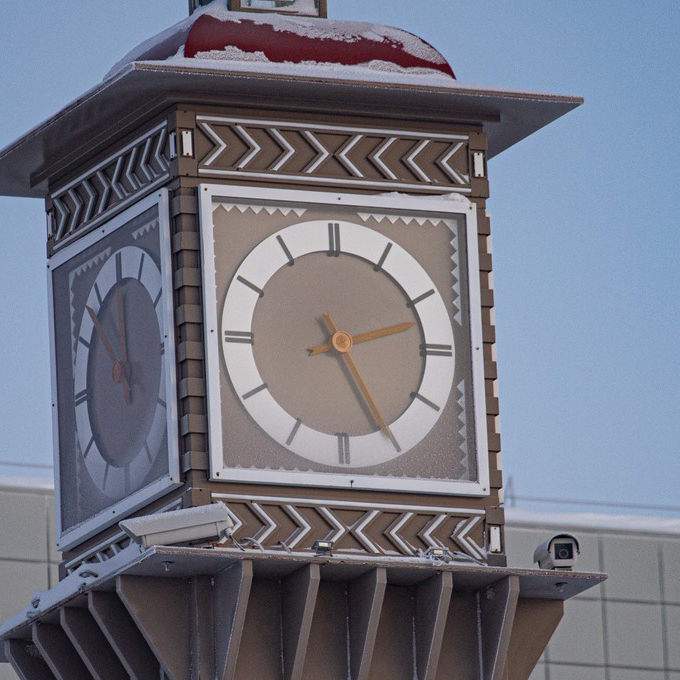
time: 2:25
